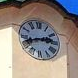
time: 2:42
